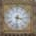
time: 3:32
